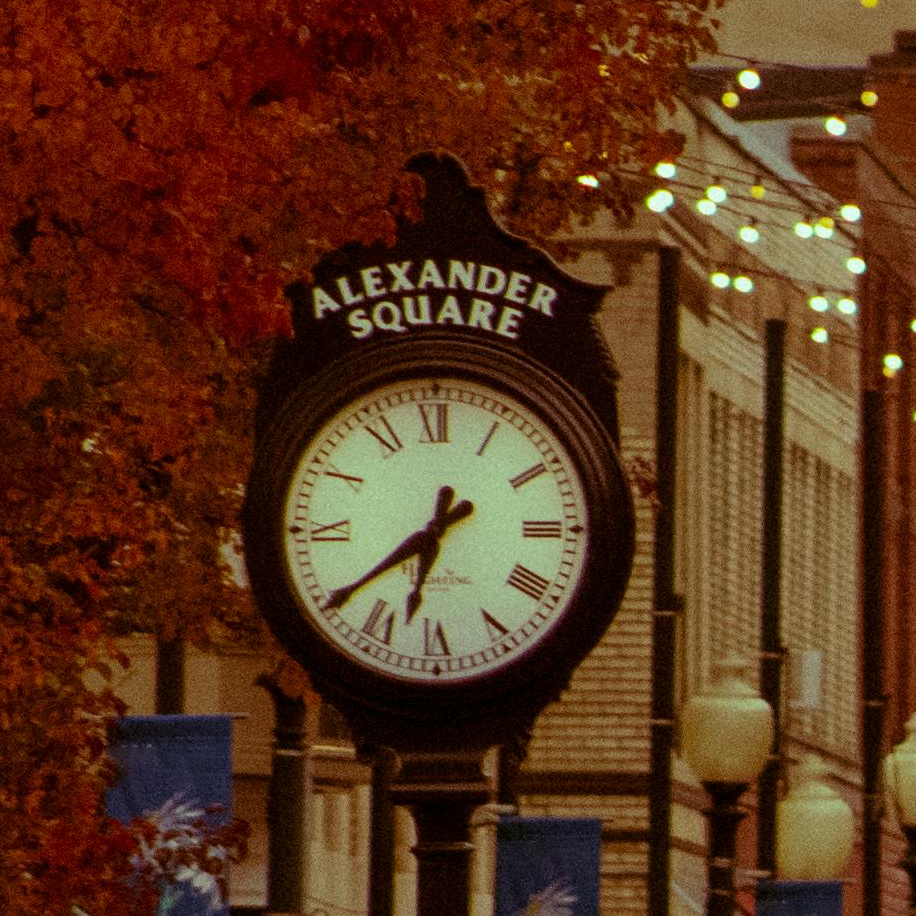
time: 6:39
